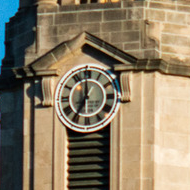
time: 6:59
